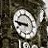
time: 8:45
